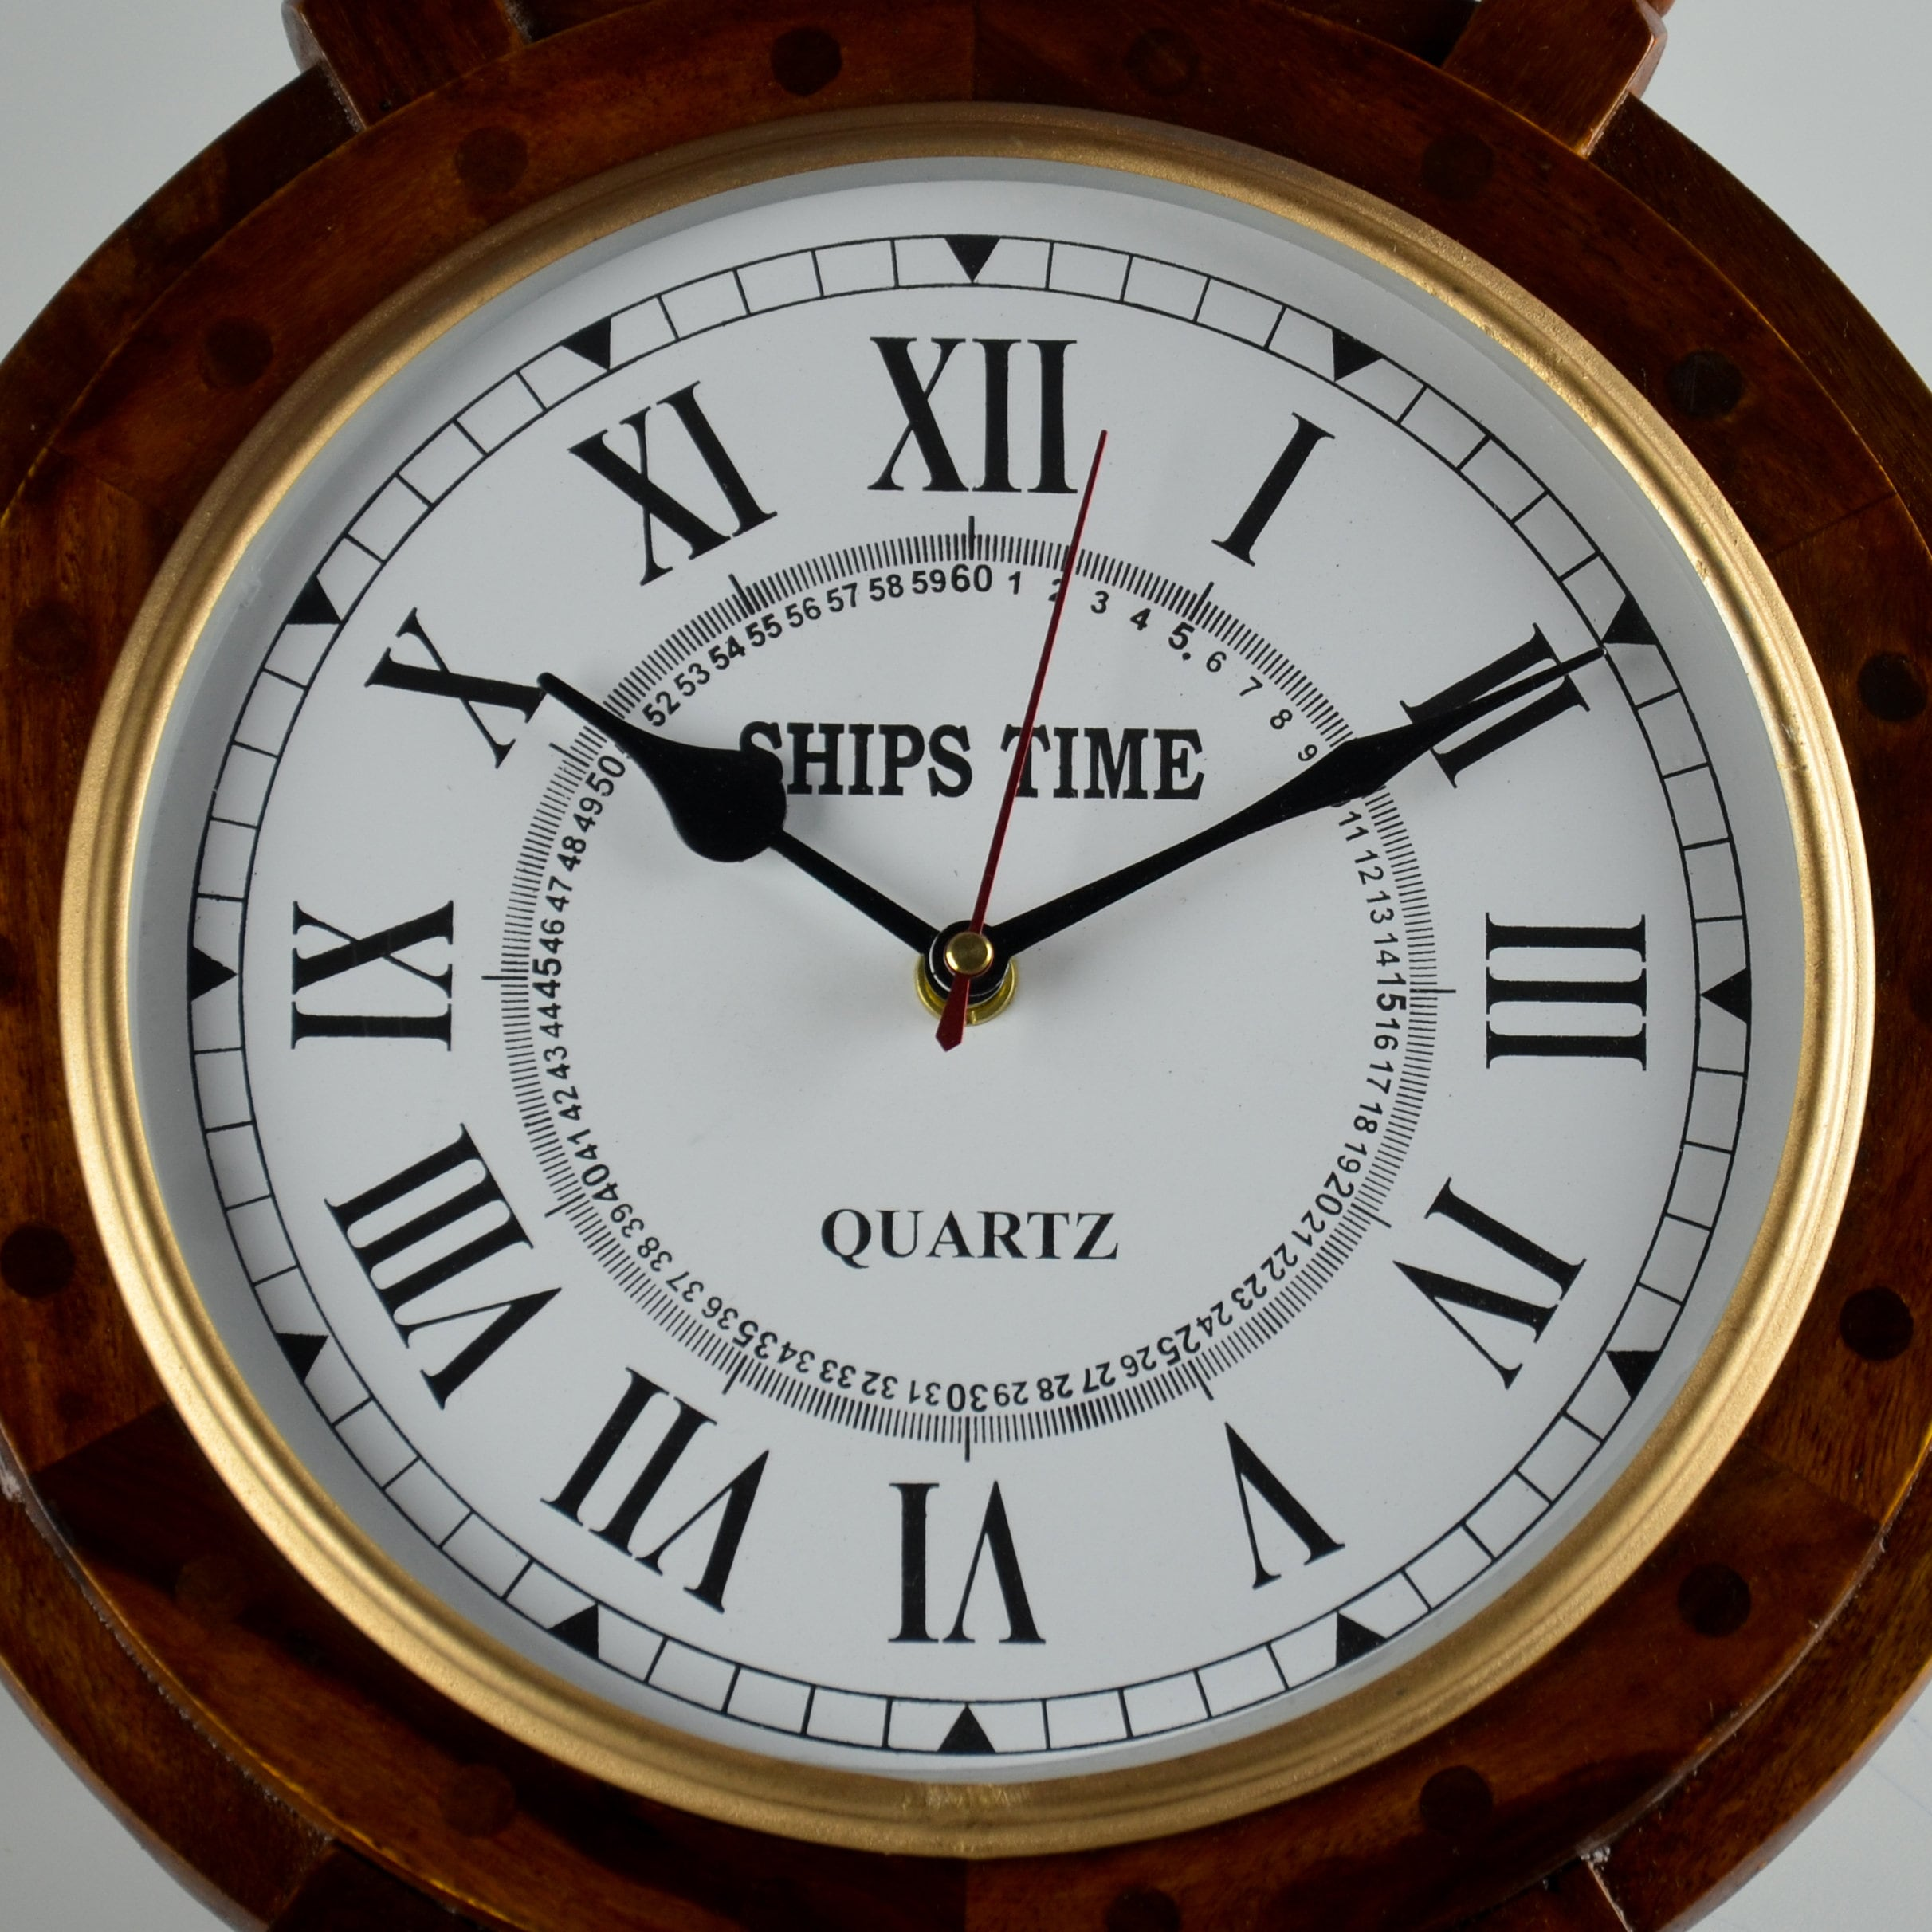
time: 10:10
